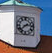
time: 2:38
